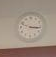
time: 3:15
